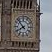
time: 7:52
